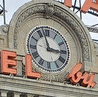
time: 2:57
